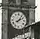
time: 2:06
